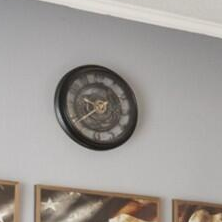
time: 9:38
